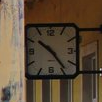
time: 10:23
